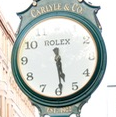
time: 5:29
